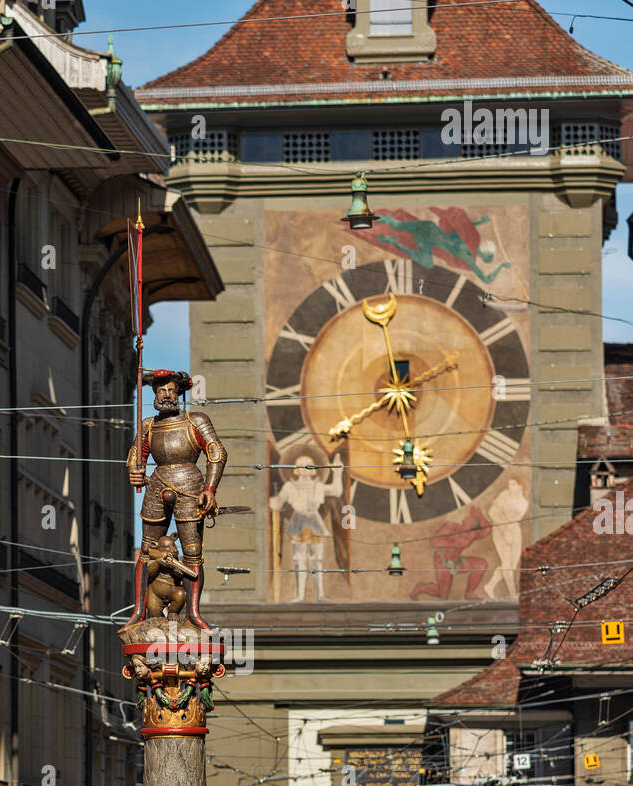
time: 5:40
